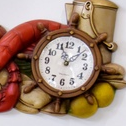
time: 11:07
